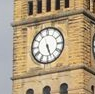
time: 5:26
